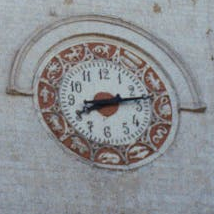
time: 8:12
